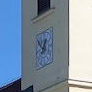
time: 12:52
